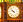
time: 9:52
